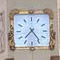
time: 7:24
